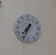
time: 7:34
